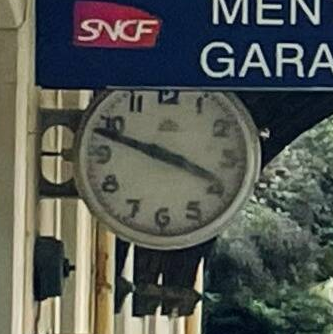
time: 3:48
